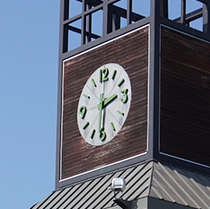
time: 2:31
